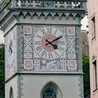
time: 4:09
